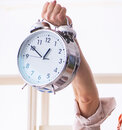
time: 12:50
